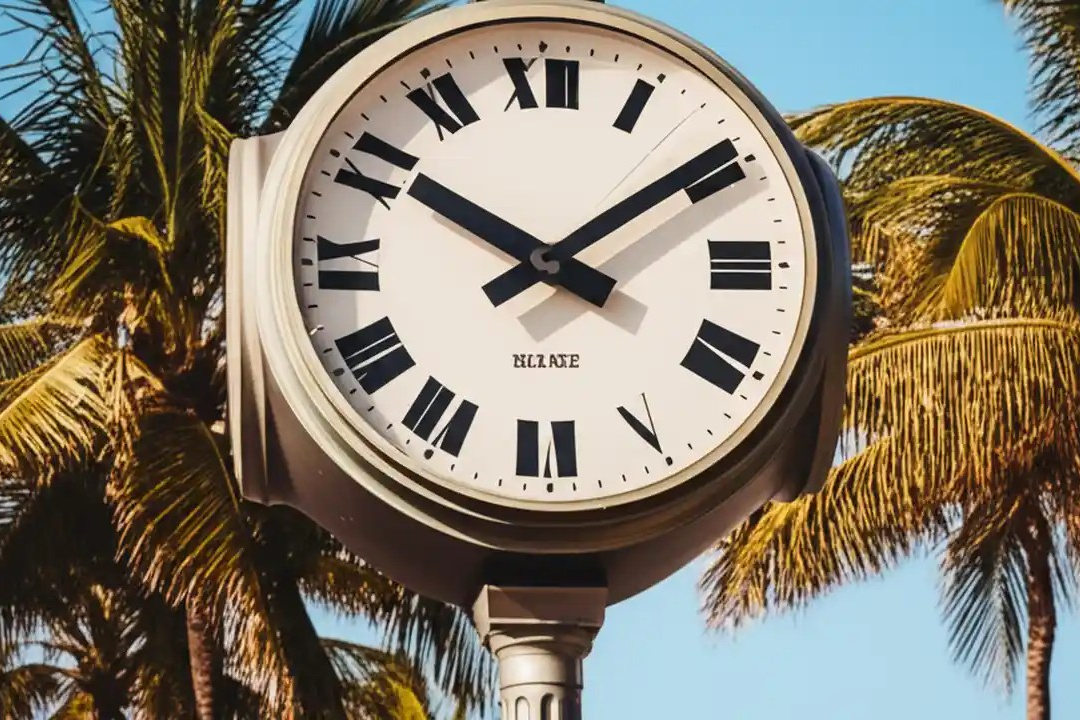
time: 10:09
